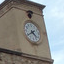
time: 4:39
